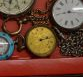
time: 2:11
